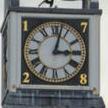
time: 3:02
